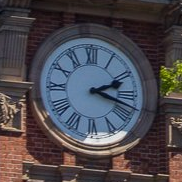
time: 2:18
